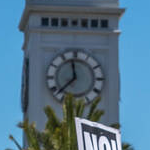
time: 11:37
